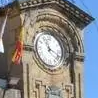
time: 11:18
